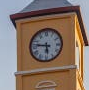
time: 5:46
